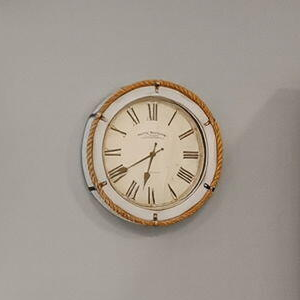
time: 6:39
